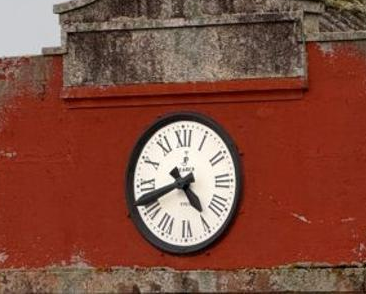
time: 4:41
